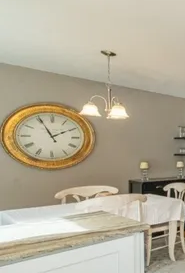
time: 1:55
